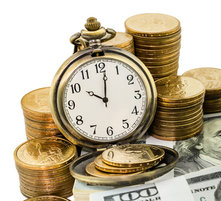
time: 10:00
